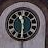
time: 11:29
